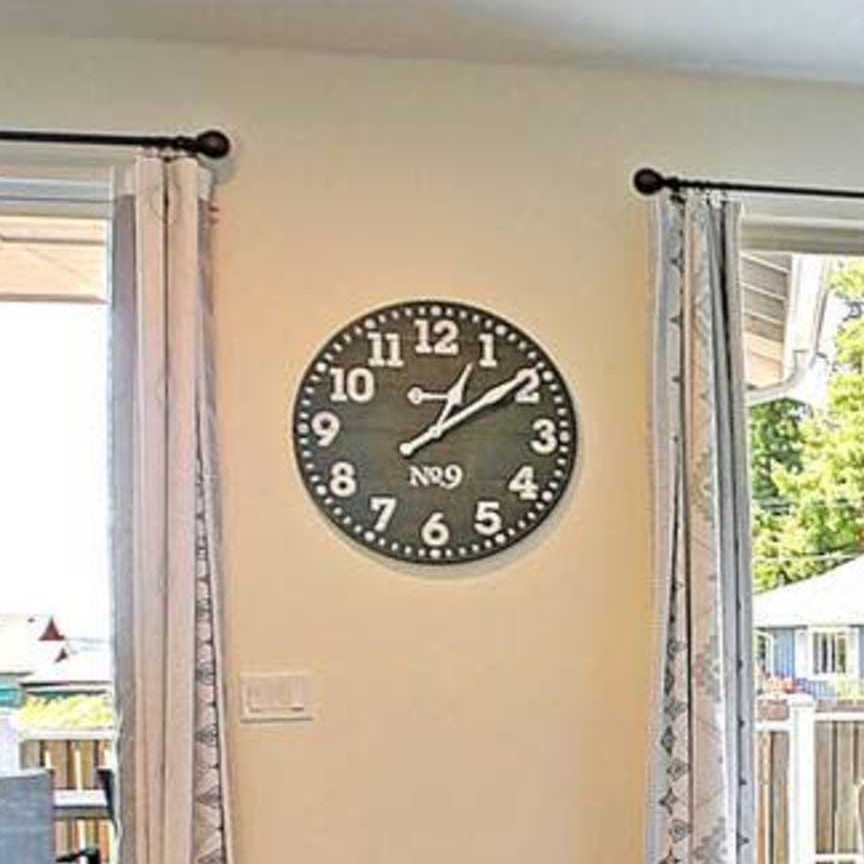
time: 1:09
